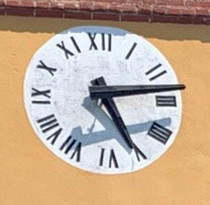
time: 5:13
